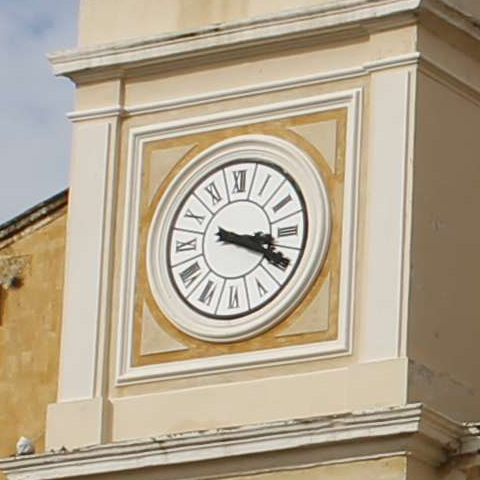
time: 3:19
